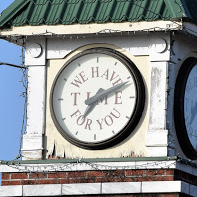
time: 7:11
